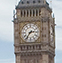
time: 2:36
